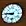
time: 8:45
